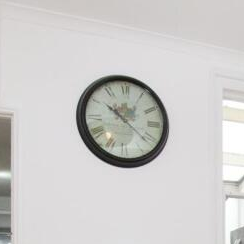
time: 10:21
